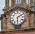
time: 6:10
